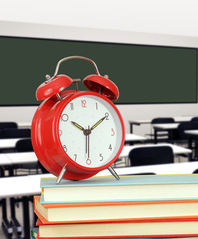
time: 10:09
